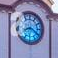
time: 8:20
